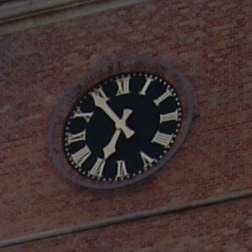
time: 6:54
